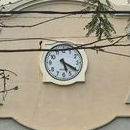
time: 5:20
